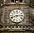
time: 8:14
